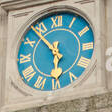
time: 5:53
